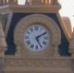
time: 5:09
